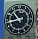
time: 10:43
